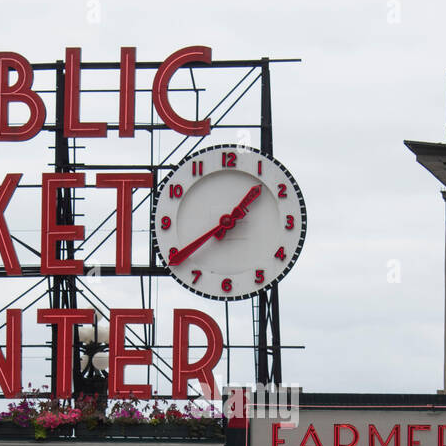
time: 1:39
